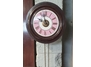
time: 9:57
